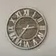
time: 2:36
